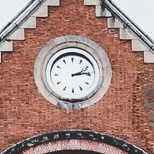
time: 2:13
